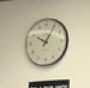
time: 10:05
